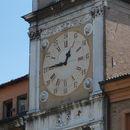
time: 12:45
